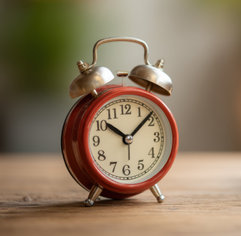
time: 10:07
